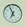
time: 6:56
